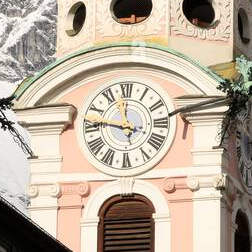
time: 11:46
